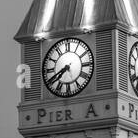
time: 7:40
